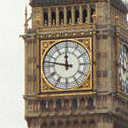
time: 11:47
